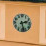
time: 2:27
